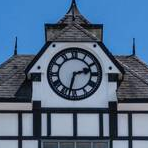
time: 2:32
